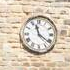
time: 11:21
